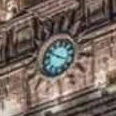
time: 3:48
